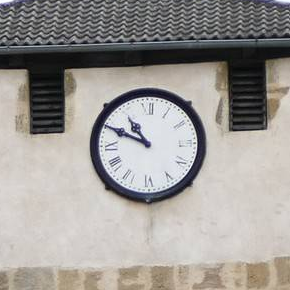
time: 10:49
